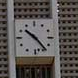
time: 10:23
